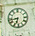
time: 6:43
